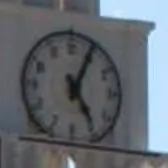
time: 5:04
